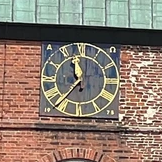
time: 11:36
